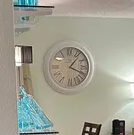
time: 1:18
